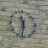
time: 11:32
